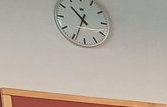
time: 10:34
